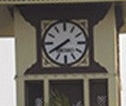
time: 7:40
